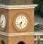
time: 7:32
